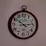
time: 10:13
